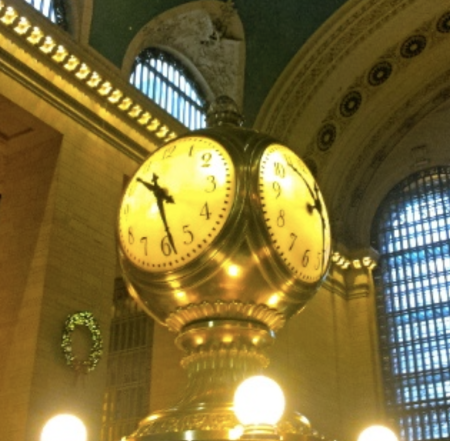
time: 10:28
